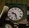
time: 9:27
